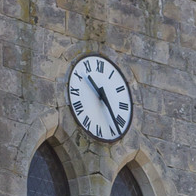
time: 10:23
